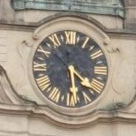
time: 4:29
